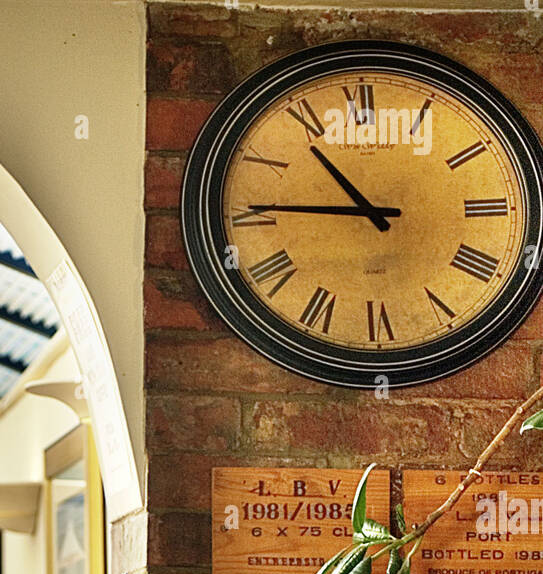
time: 10:45
